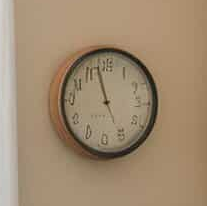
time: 4:57
